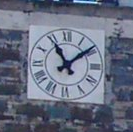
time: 11:08
